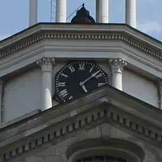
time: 5:08
